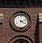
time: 4:12
